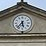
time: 5:36
